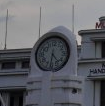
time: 4:31
